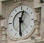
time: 12:30
